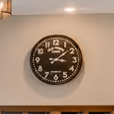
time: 3:08
